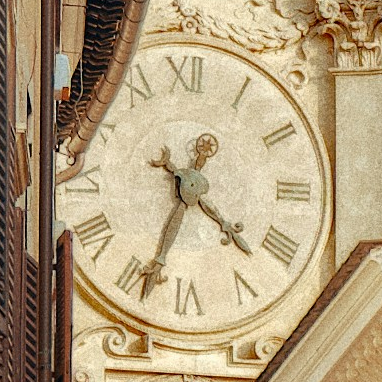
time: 4:33
